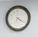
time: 4:20
